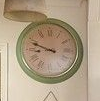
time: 8:48
